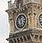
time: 5:57
